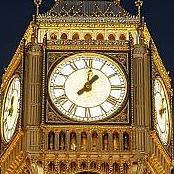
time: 1:01
